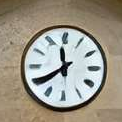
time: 11:39
